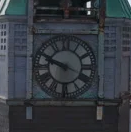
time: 3:48
